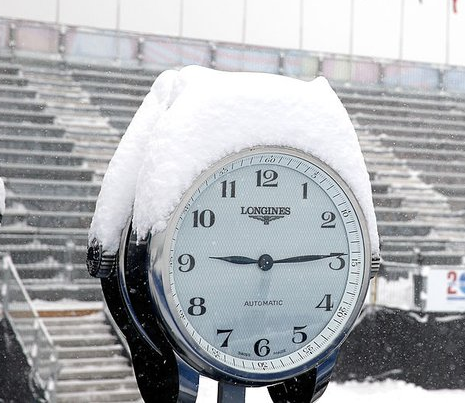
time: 9:14
